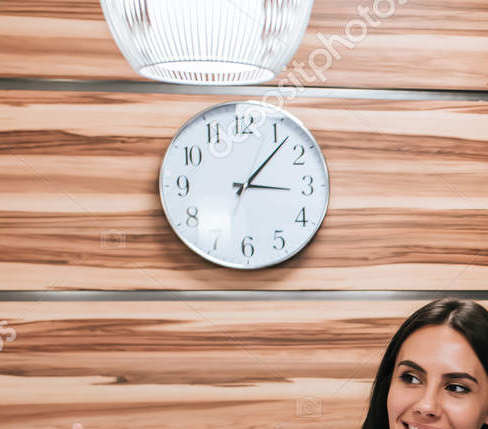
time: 3:06
